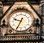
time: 9:34
